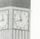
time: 11:42
